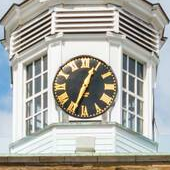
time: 12:33
